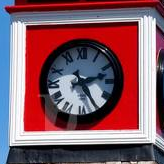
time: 2:24
